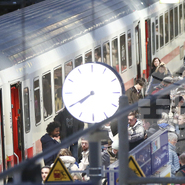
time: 7:39
